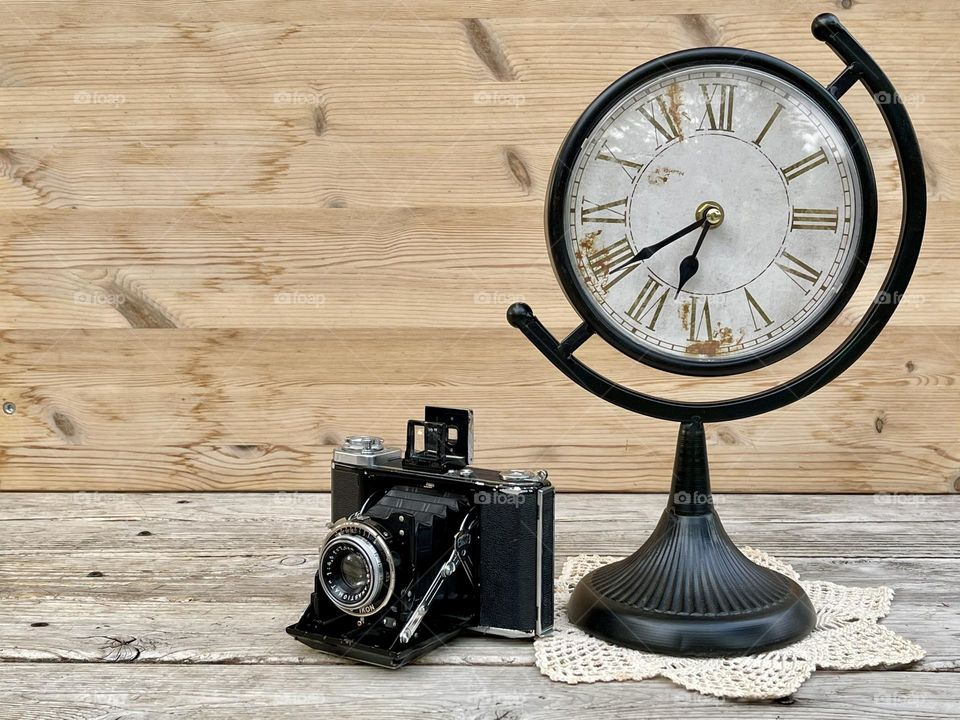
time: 6:39
